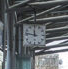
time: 11:46
